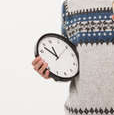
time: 10:48
